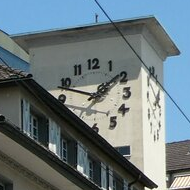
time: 1:48
